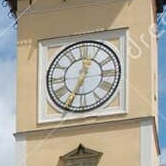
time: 12:34
